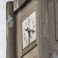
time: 5:18
